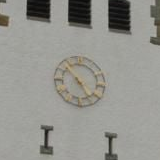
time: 4:52
